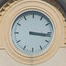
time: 3:16
